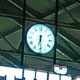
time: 6:29
